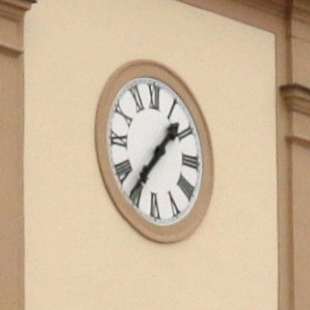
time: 1:36
